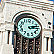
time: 2:13
